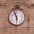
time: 5:57
